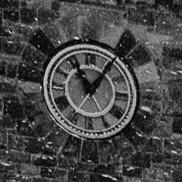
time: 11:06
